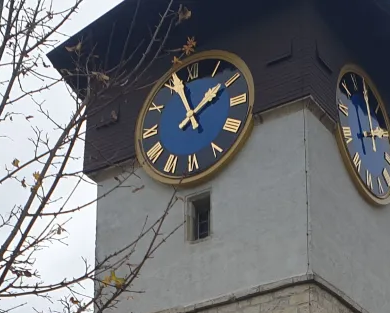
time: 1:56
